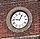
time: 12:46
